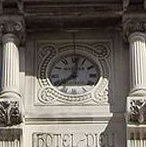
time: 8:01
